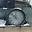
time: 11:52
